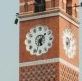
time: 5:33
